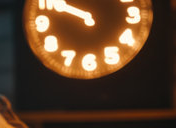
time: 9:50
